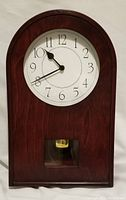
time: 10:40
